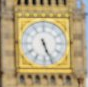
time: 5:26
